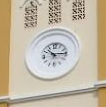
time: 10:15
